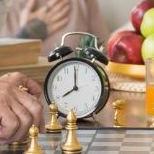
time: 7:59
